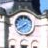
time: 7:39
